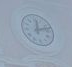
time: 12:12
